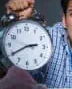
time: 2:40
